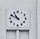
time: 10:49
